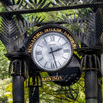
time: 2:27
